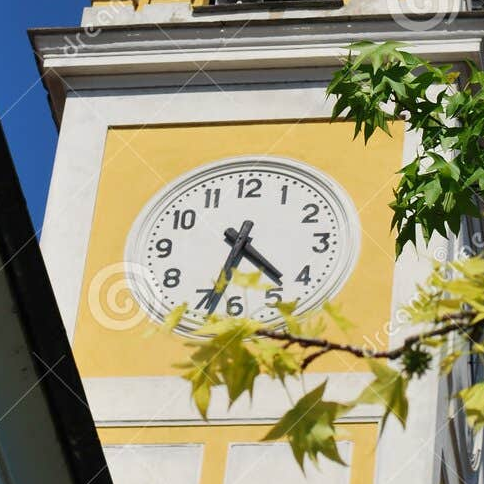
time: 4:33
